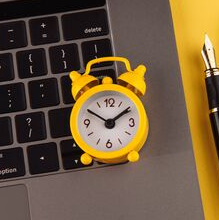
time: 1:50
